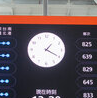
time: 1:19
